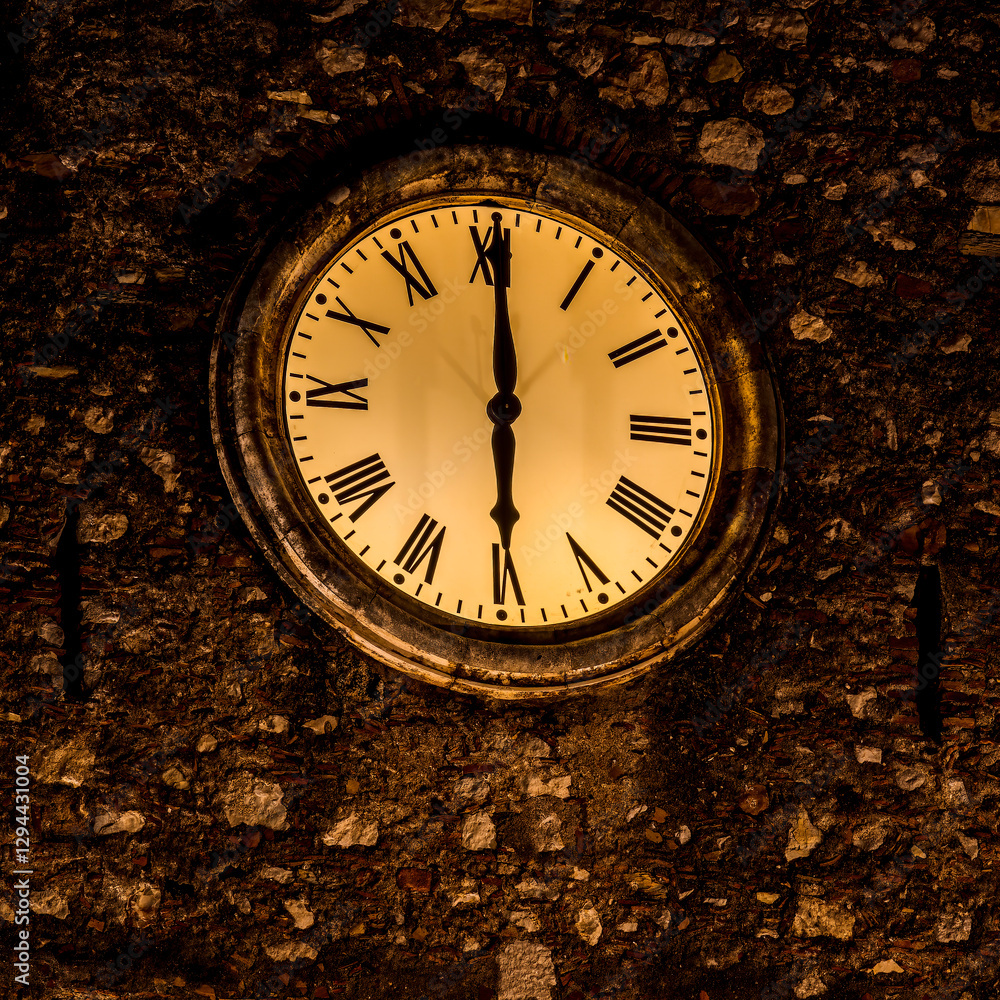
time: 6:00
